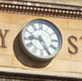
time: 9:25
